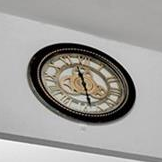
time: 11:28
